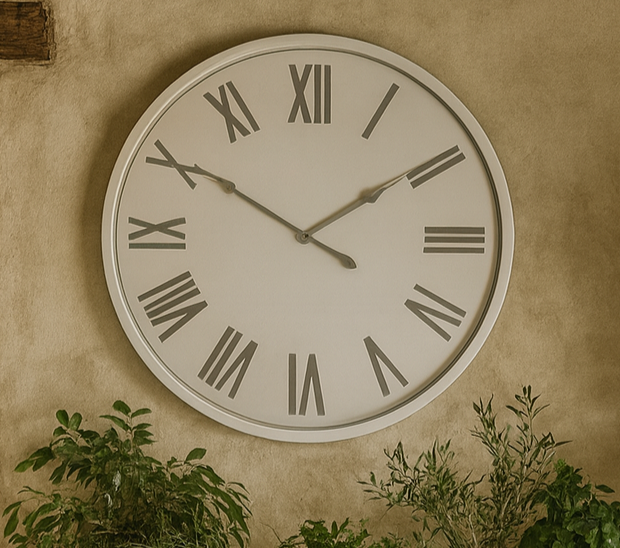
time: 1:50
